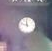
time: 11:48
